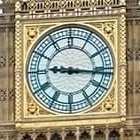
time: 9:16
